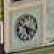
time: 5:18
